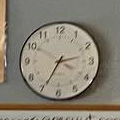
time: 2:34
